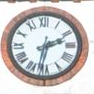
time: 2:32
